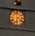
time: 6:21
